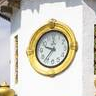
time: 9:36
